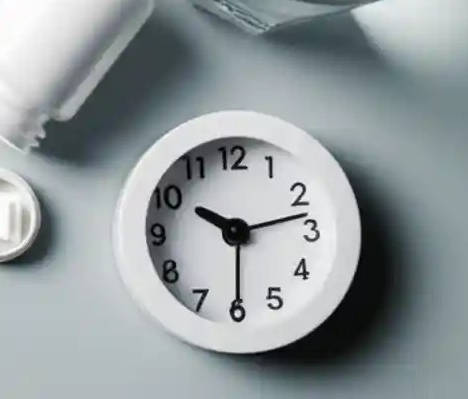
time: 10:12
